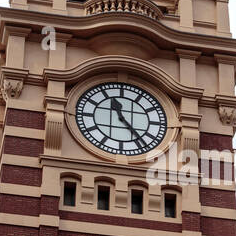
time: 11:23
